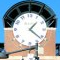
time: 1:21
